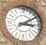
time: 3:09
